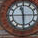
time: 11:29
